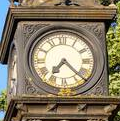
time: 7:22
